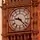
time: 9:22
